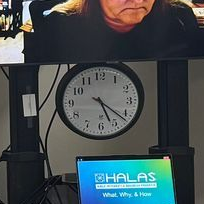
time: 5:21
